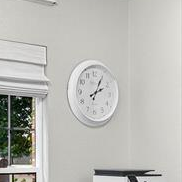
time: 2:04
